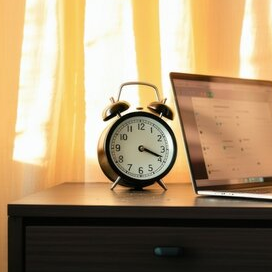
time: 3:18
